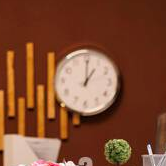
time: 1:00
